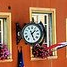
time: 1:26
